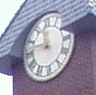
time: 11:46
